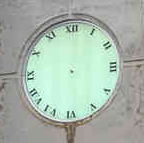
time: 6:02
